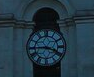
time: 3:44
